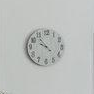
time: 9:53
